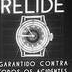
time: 10:45
